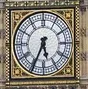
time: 5:34
